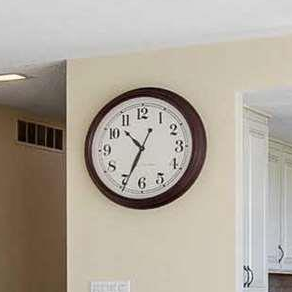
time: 10:34
